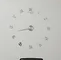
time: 8:42
